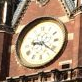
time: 9:21
